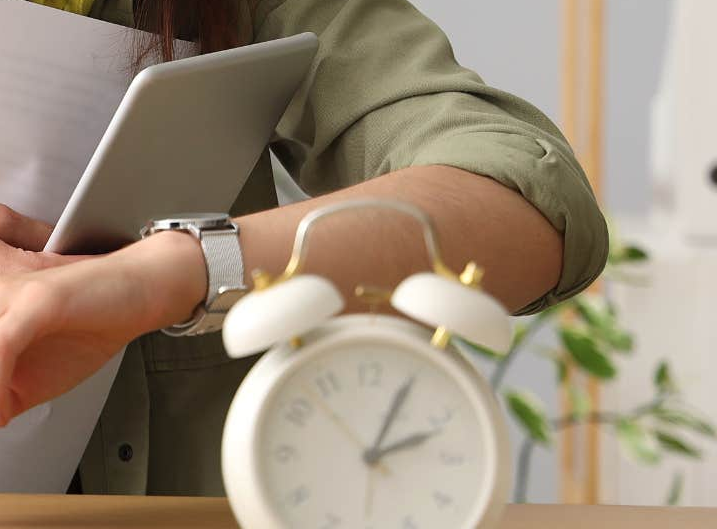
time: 2:04
